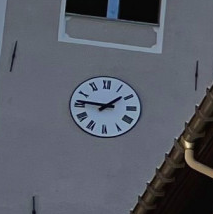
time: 1:46
